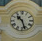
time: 10:27
